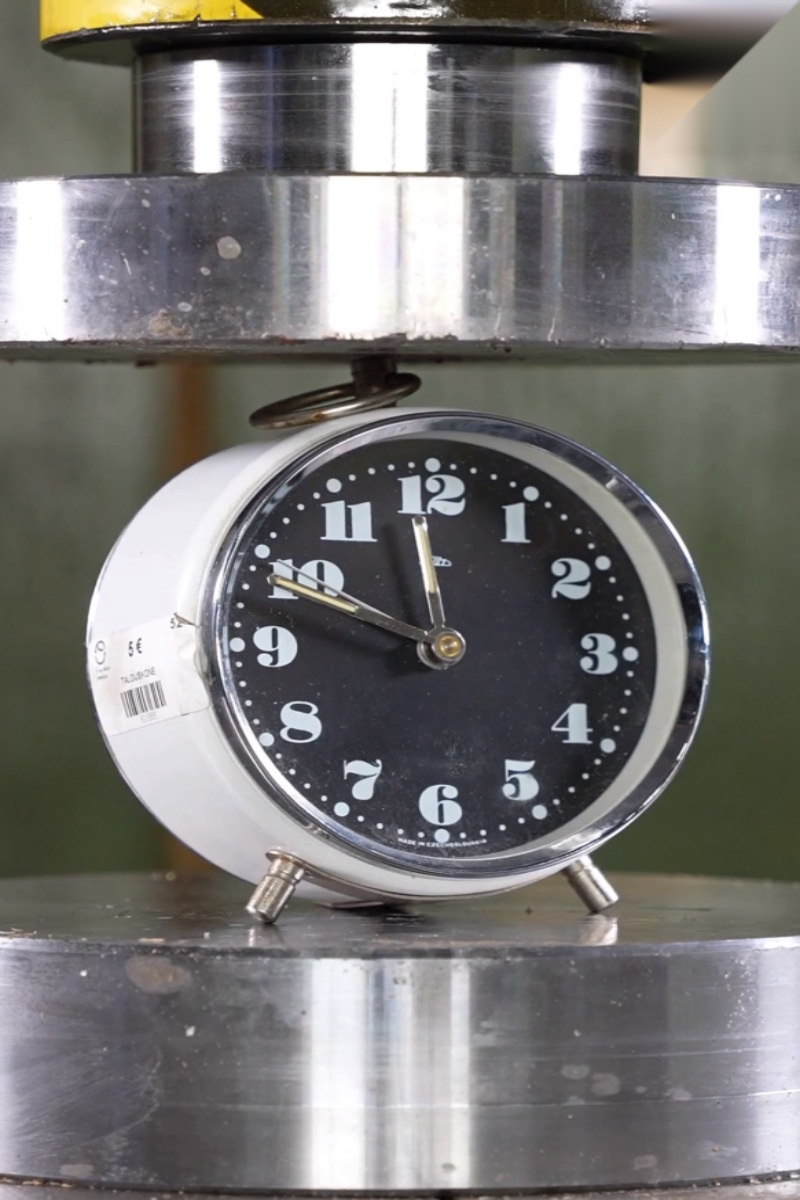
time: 11:48
